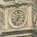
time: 7:01
